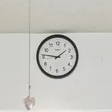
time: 1:46
